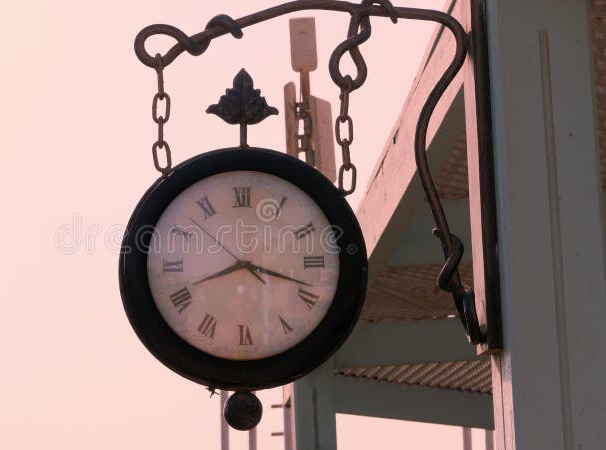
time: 8:18
